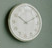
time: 10:10
